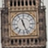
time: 11:26
